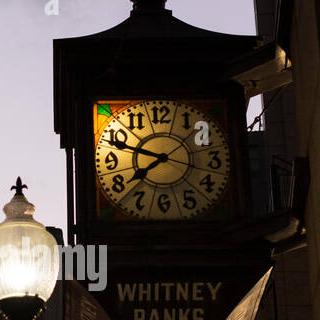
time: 7:48
